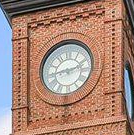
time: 2:43
